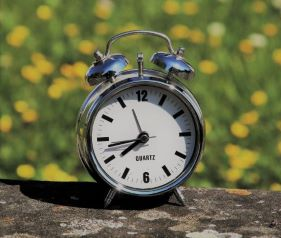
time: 7:43
